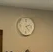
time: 2:23
